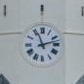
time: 11:12
